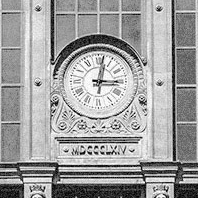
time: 3:01
